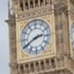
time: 2:40
